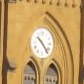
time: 10:23
